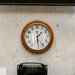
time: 1:29
